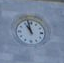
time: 10:58
